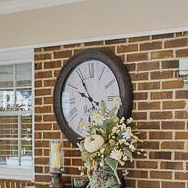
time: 9:54
